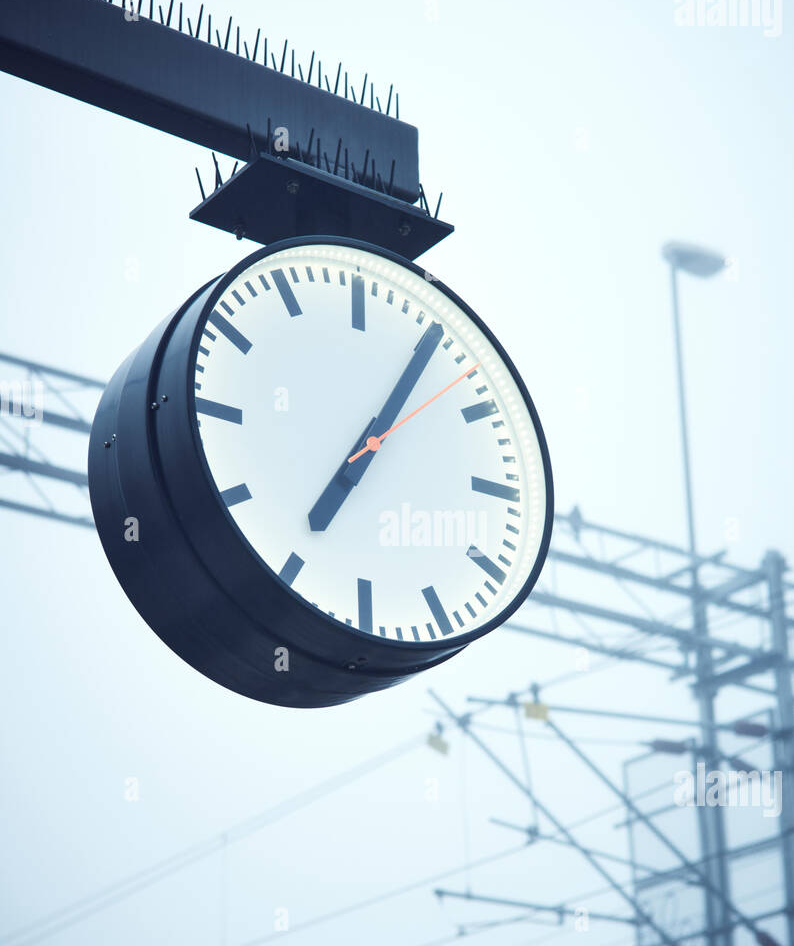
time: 7:05
